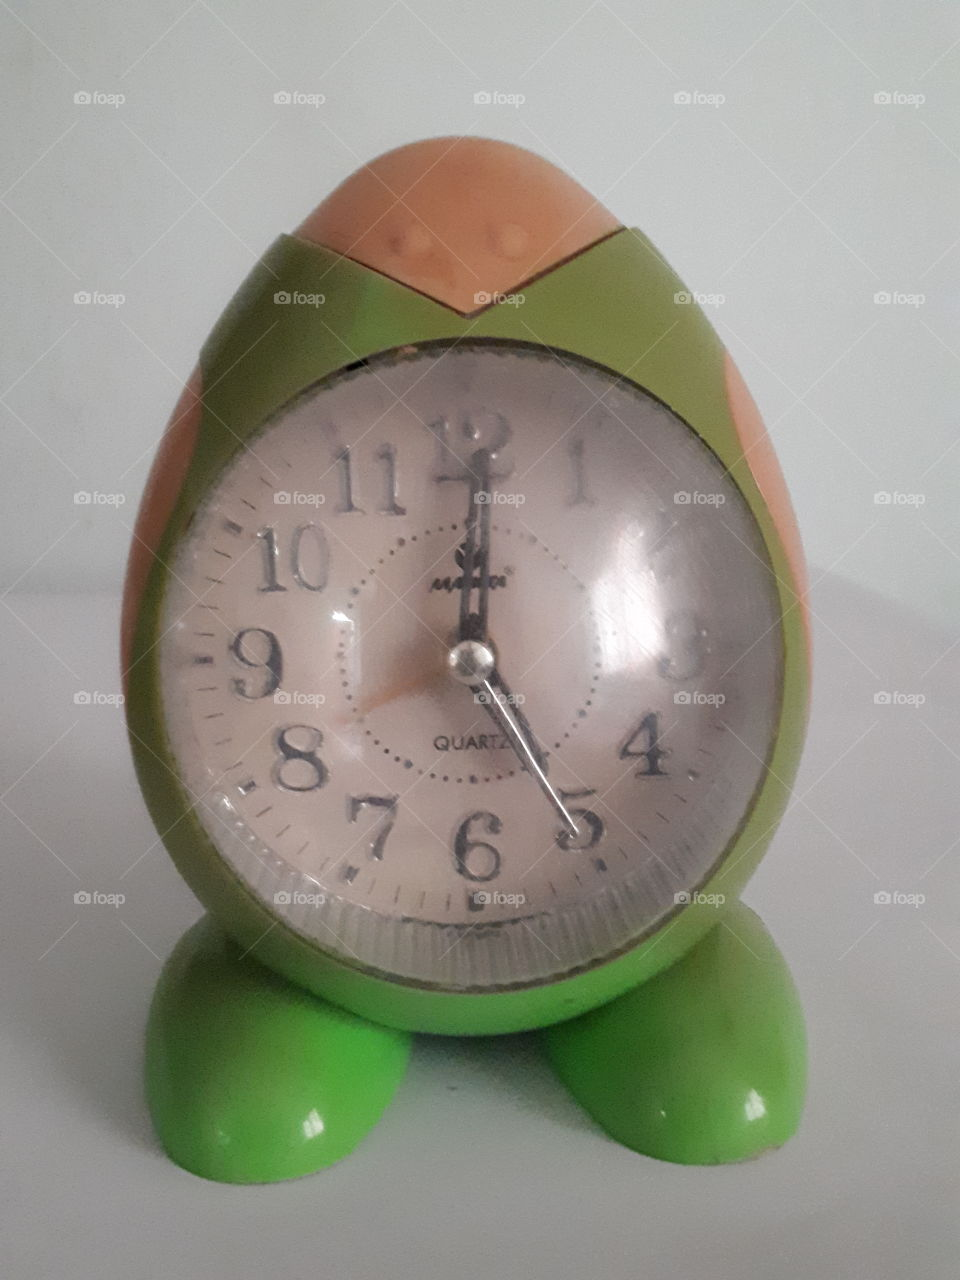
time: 5:00
